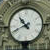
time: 10:41
